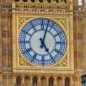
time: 5:02
